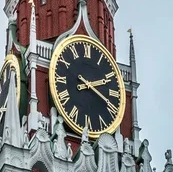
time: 2:18
